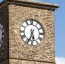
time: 5:33
